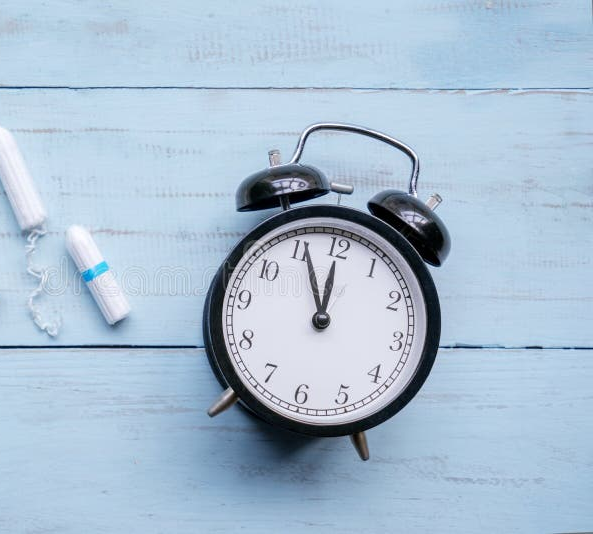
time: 11:55
